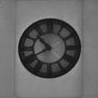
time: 10:39
